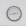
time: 2:42
